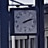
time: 2:11
